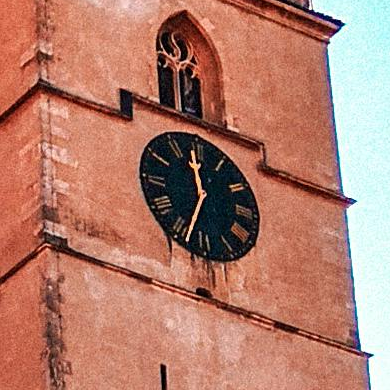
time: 11:33
